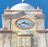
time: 3:40
